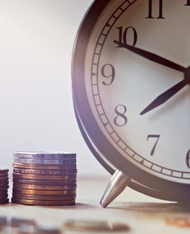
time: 7:48
